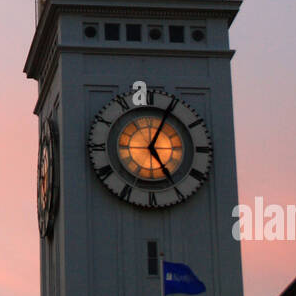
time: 5:04
